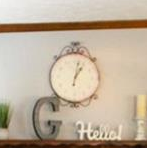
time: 1:02
